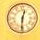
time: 12:30
